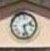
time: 2:27
